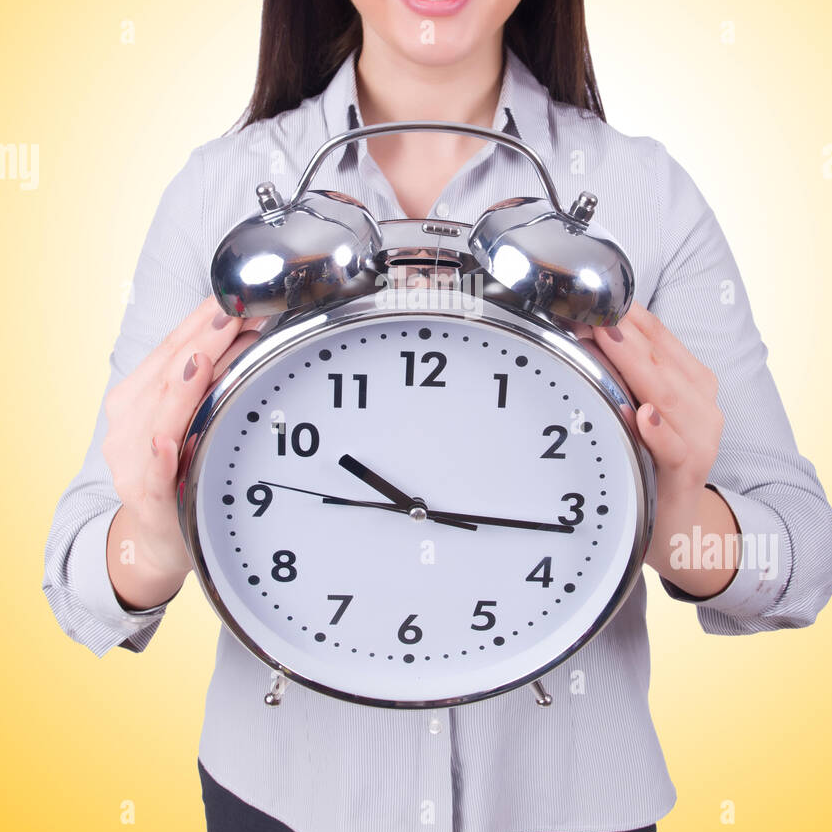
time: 10:16
